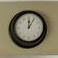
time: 12:05
